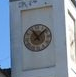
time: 11:07
